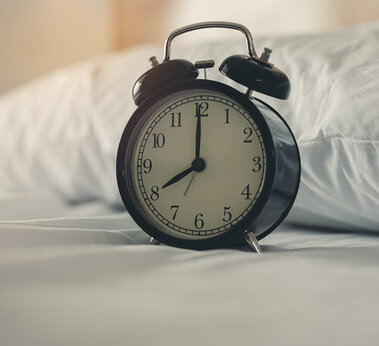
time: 8:00
